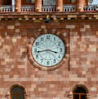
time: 3:43
